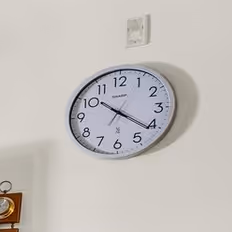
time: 10:21
